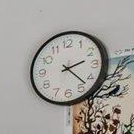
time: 2:22
